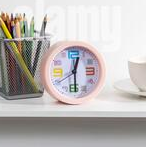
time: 12:29
